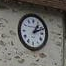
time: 1:11
